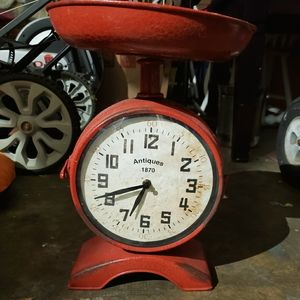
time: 6:41
